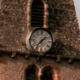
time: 1:36
